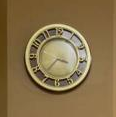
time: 3:36
